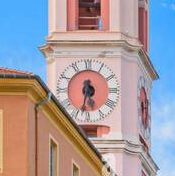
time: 5:32
